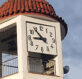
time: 8:53
